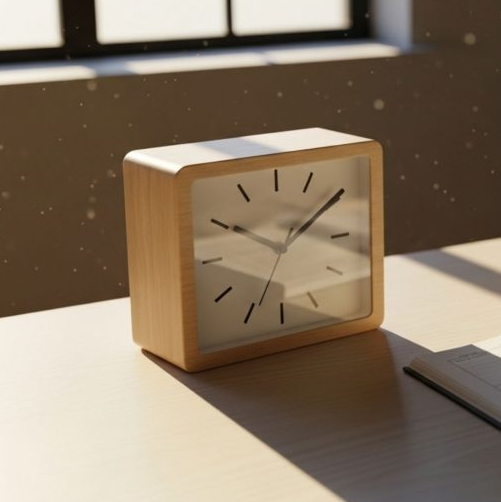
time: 1:50
